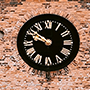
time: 9:51
